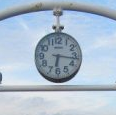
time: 6:16
